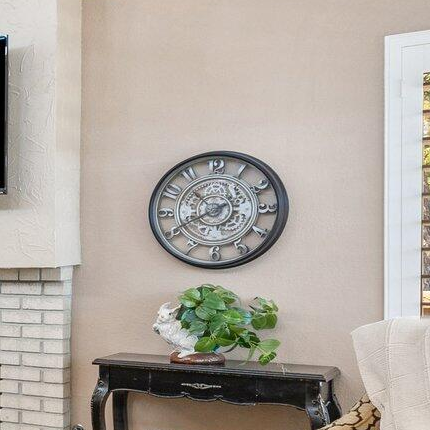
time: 10:40
